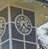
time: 4:35
